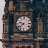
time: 9:38
